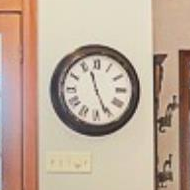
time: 11:26
